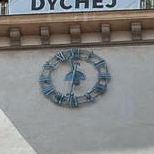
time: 12:32
